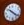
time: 10:21
